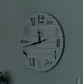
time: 11:42
